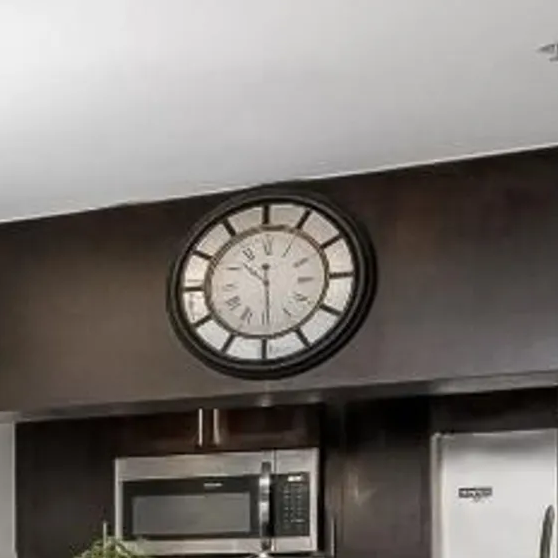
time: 10:29
